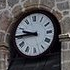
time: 9:44
